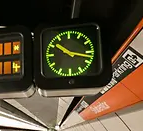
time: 10:17
